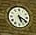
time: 5:19
